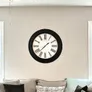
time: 1:37
